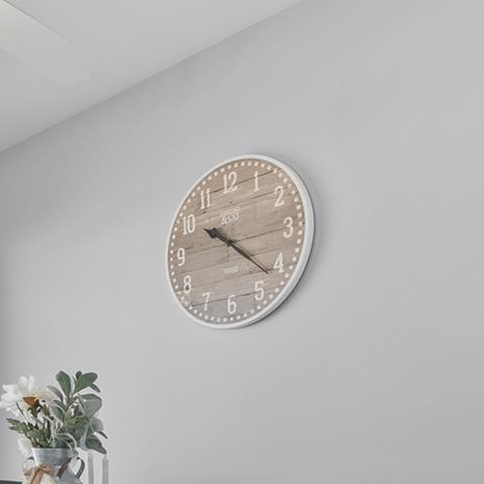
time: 4:21
